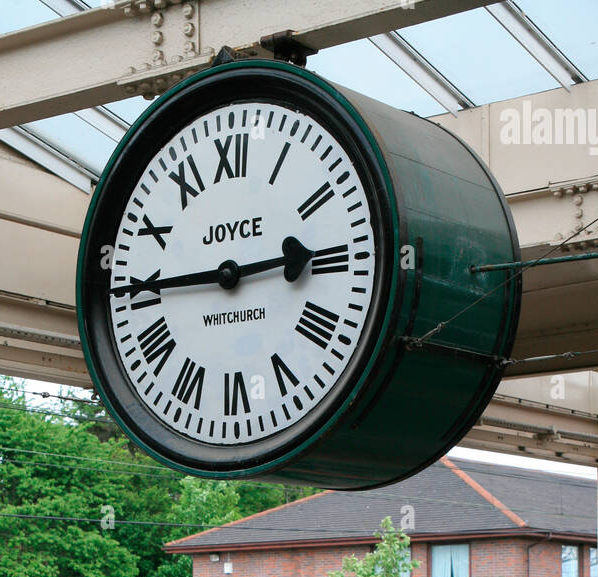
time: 2:45
